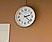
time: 2:21
